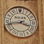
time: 3:42
